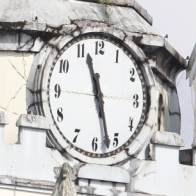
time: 11:27
